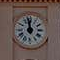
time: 11:58
